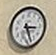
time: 3:27
